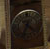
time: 4:33
